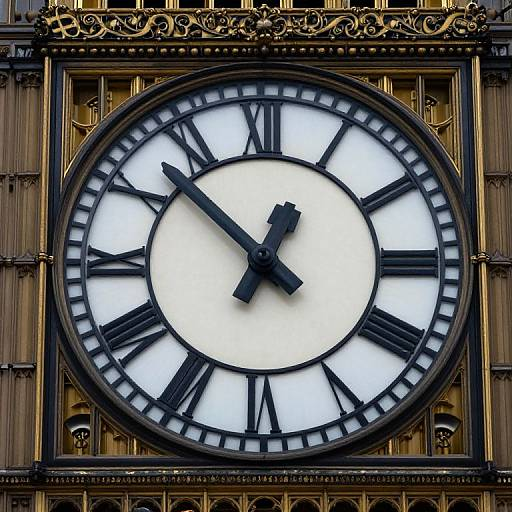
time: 12:52
